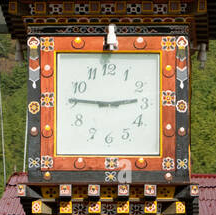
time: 2:46
